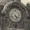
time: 4:26
